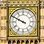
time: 9:49
